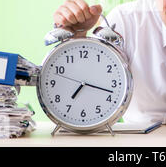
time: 7:17
